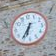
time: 6:35
